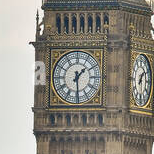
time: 1:29
